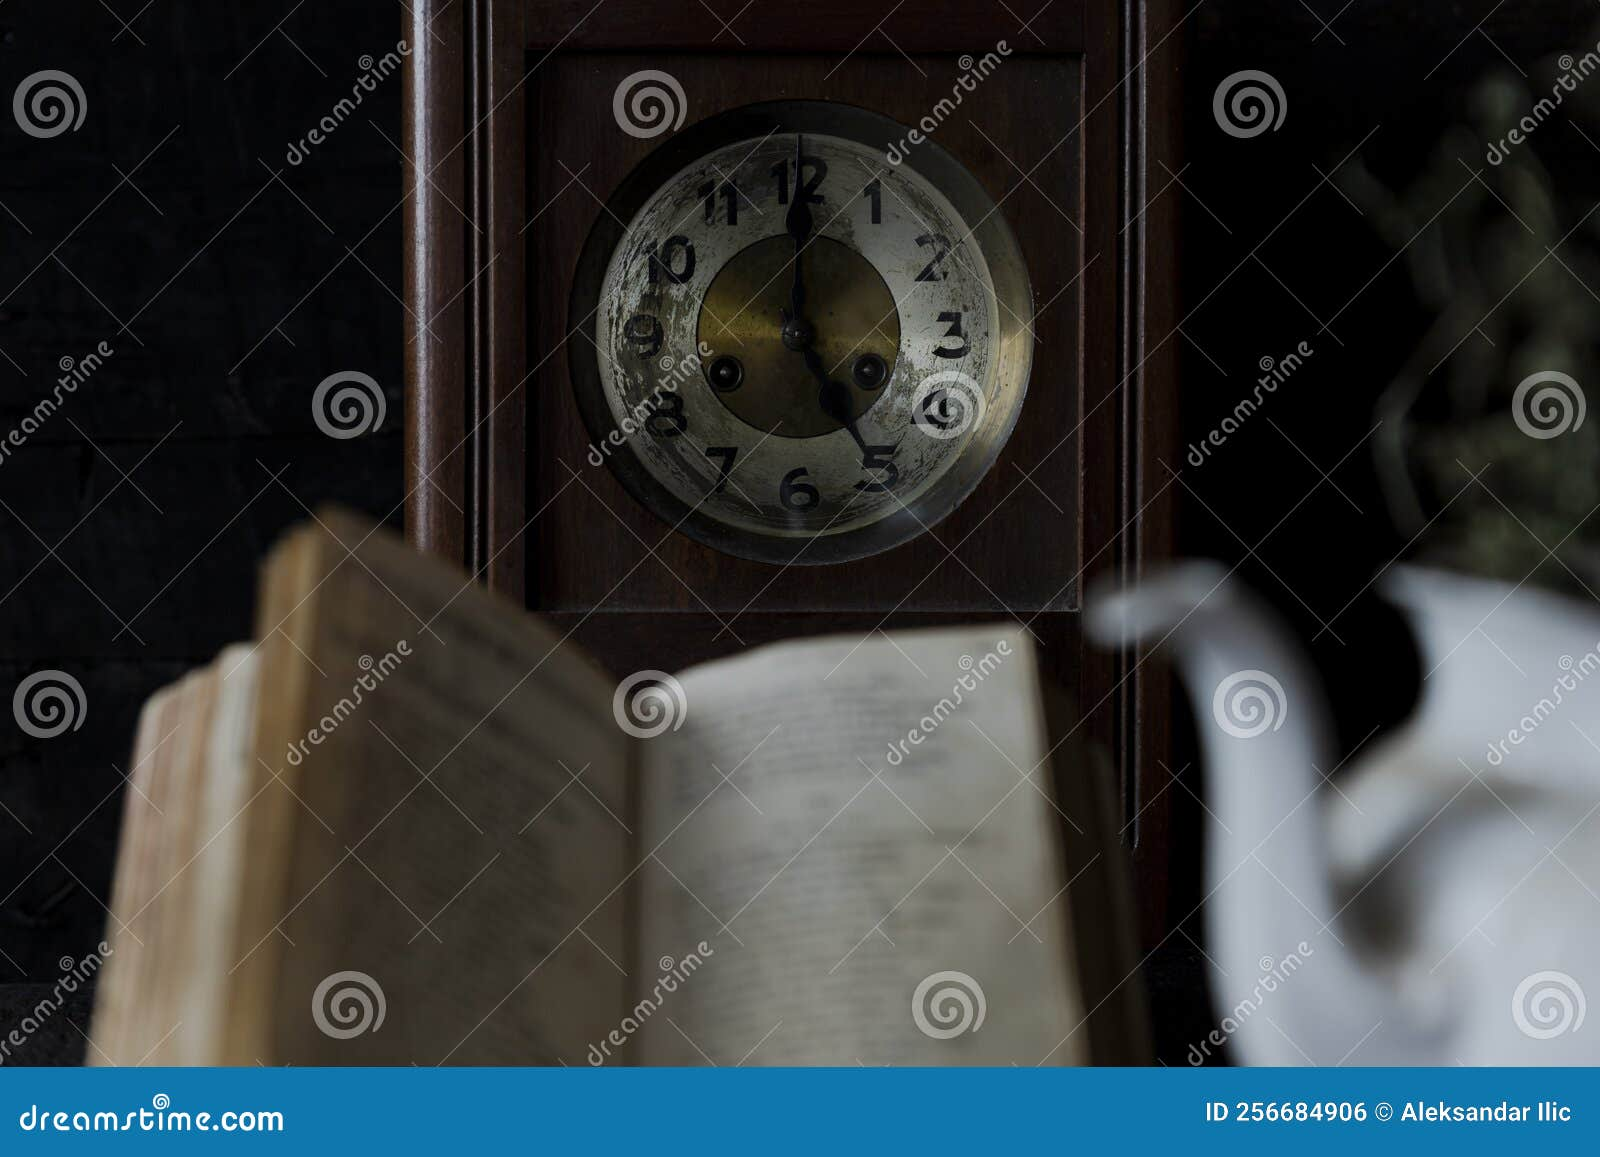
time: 5:00
